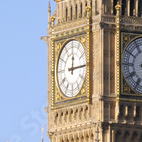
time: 12:14
